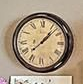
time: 1:07
